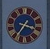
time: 3:36
